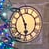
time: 5:55
